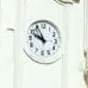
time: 9:55
